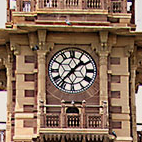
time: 1:36
